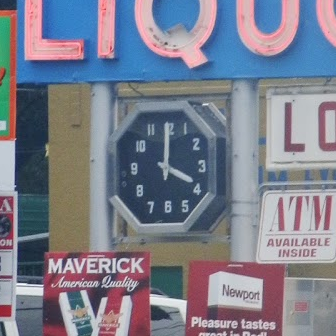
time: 4:00
